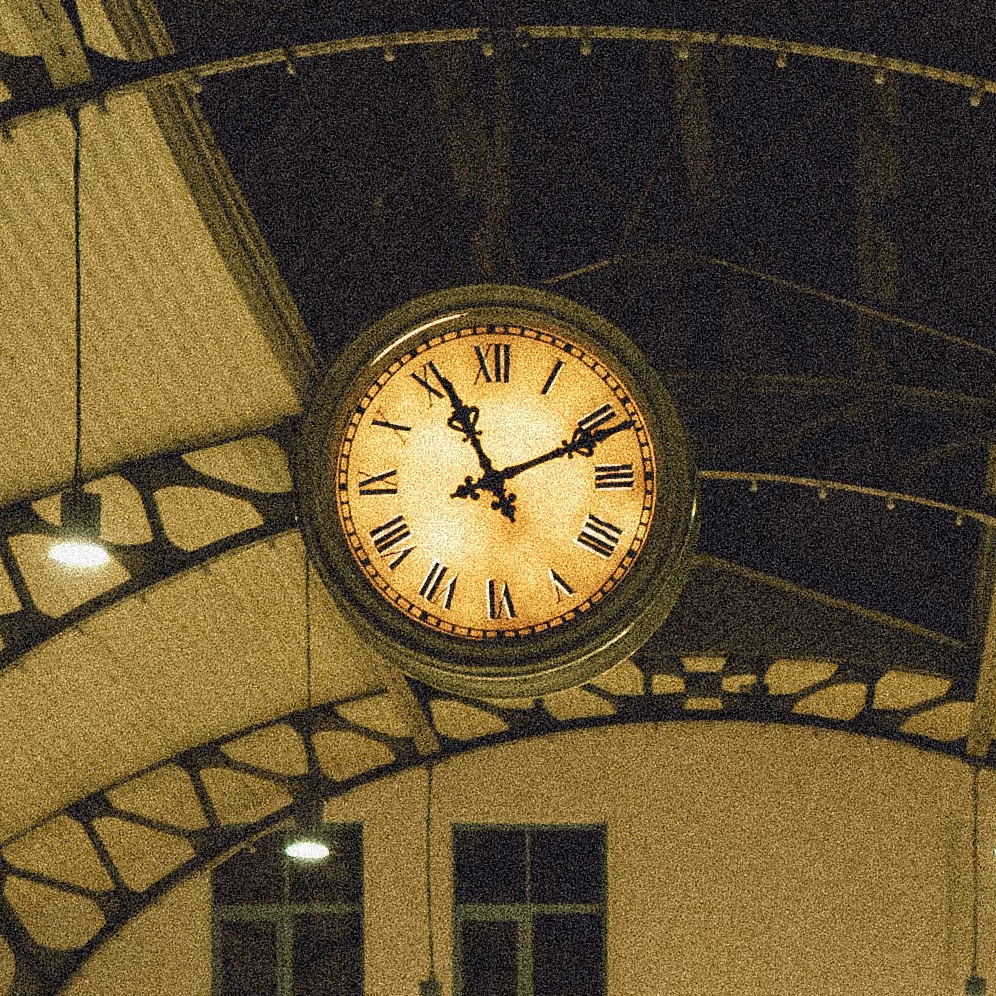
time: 11:11
